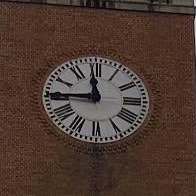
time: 11:44
